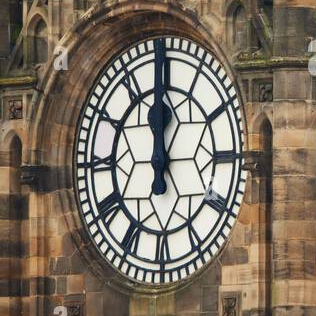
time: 11:58
